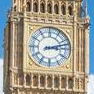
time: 3:12
